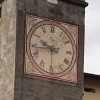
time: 9:43
